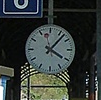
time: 4:07
